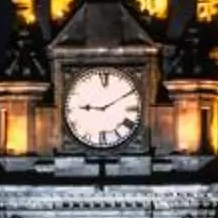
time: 9:10
